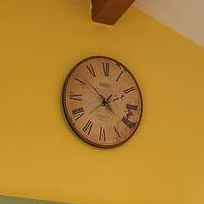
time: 1:51
